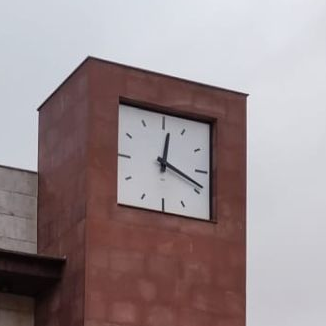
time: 12:18
